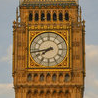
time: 7:43
